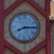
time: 8:14
